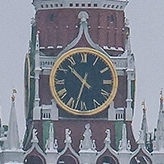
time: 10:32
